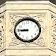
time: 8:45
